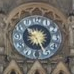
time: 5:26
